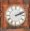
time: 2:11
